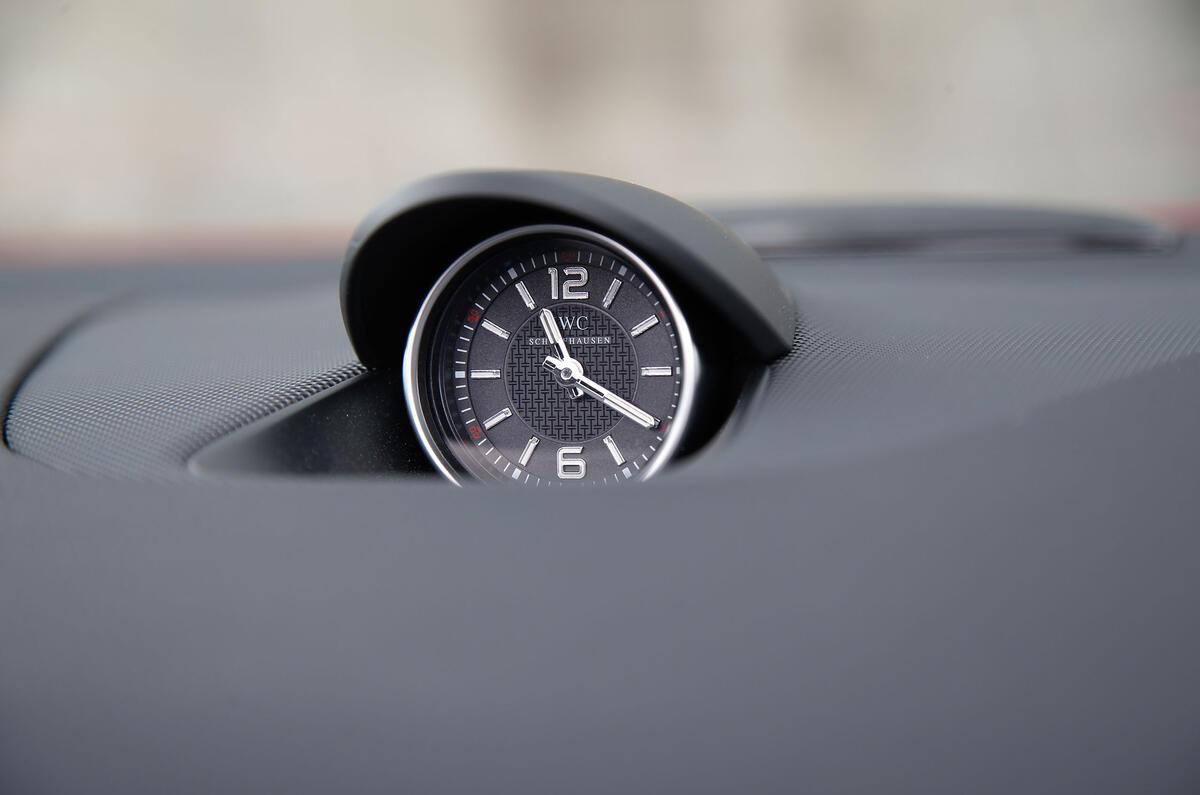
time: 11:20
